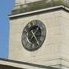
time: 1:24
